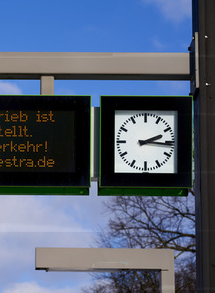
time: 2:15
